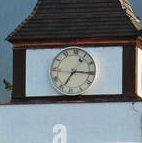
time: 7:15
